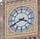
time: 3:40
